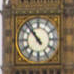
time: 10:53
